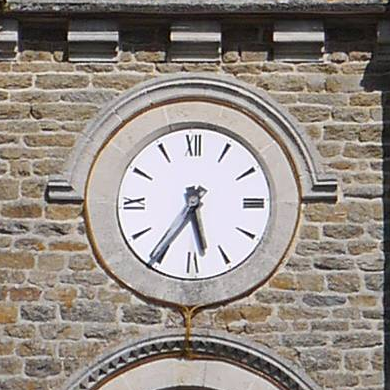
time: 5:35
